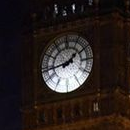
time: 1:43
